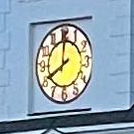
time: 8:00
